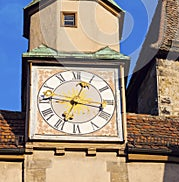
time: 12:46
